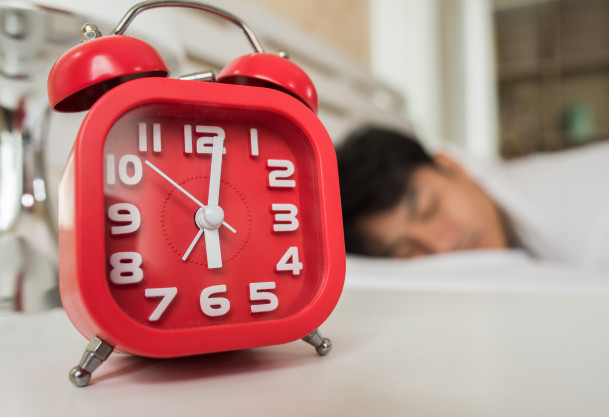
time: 6:01
